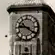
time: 9:20
